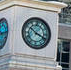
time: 10:18
